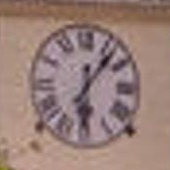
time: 6:06
